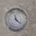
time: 11:22
